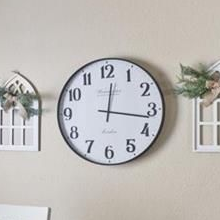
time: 12:16
